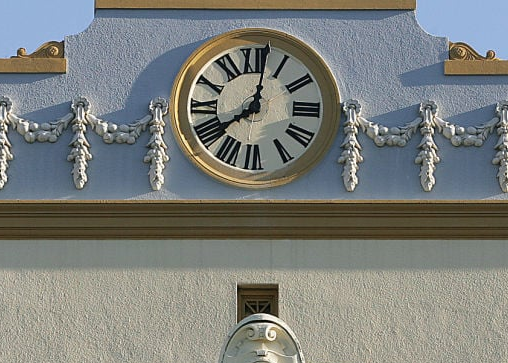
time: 8:01
